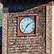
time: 7:09
